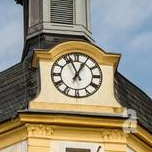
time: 12:56
